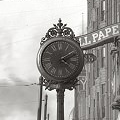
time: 4:09
